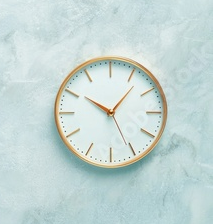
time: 10:06
